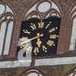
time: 5:40
